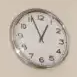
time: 12:56
